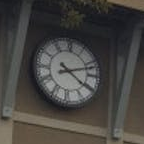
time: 4:12
